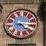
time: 4:14
